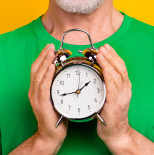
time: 1:43
